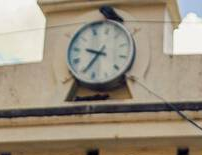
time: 9:34
